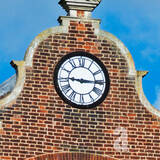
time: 9:15
